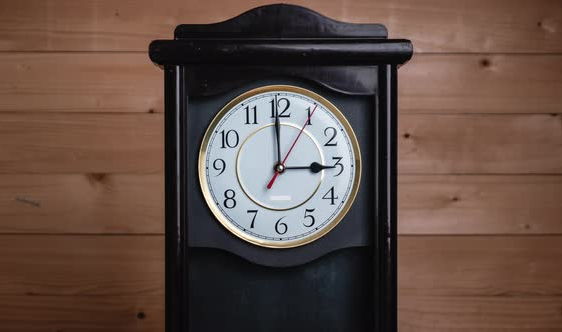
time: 2:59
